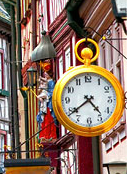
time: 4:38
